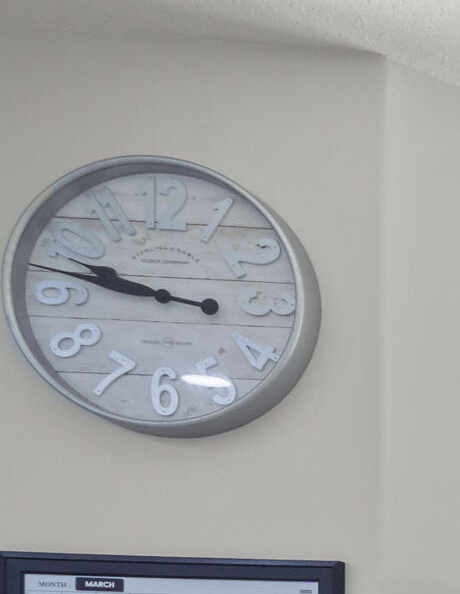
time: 9:47
